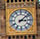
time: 3:08
